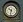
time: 10:32
